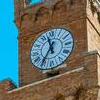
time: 11:35
